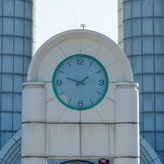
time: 1:47
